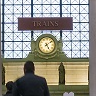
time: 5:08
